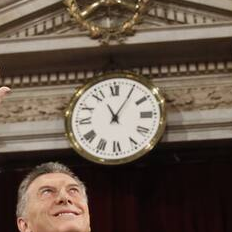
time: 11:05
